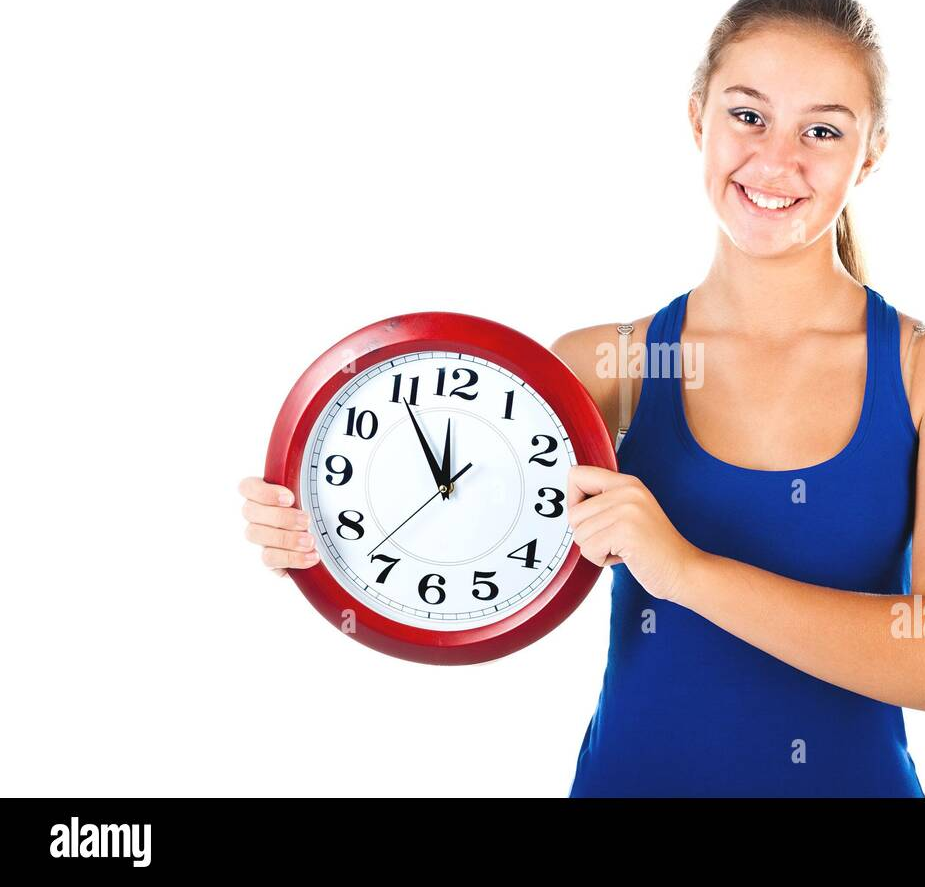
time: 11:54
